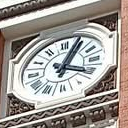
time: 4:04
